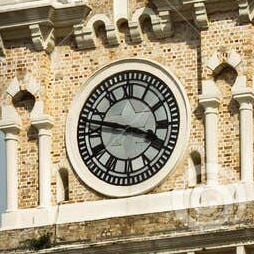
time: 3:47
